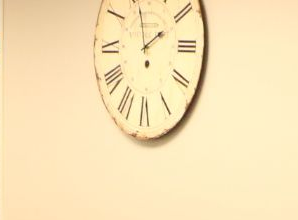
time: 1:56
